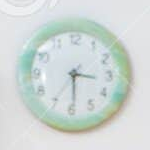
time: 3:29
